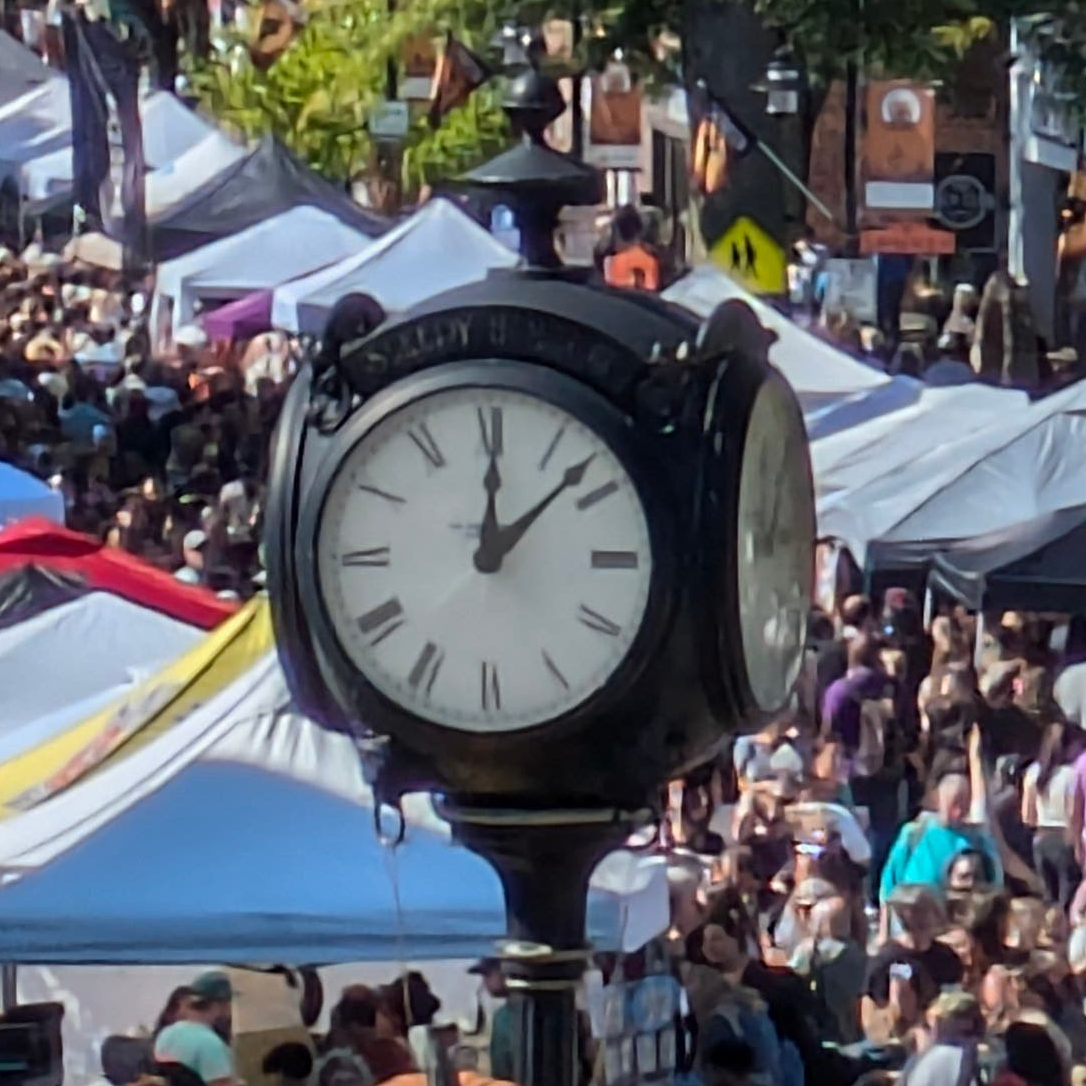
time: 12:07
